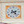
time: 2:23
